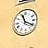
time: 11:19
